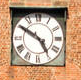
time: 4:50
